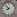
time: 7:53
